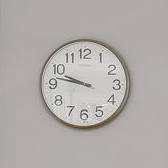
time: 9:47
